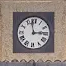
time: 2:58
